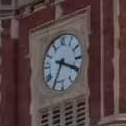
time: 3:34
